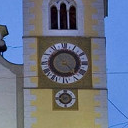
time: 4:23
